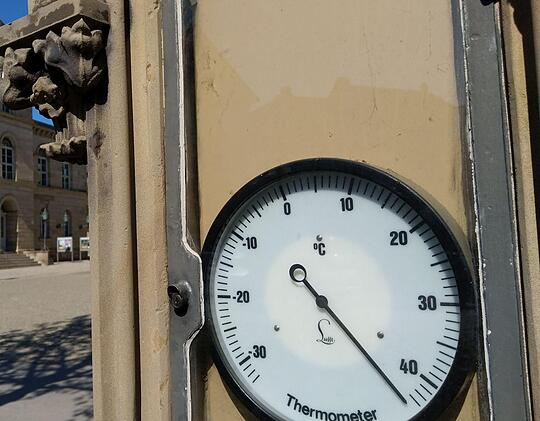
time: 4:21
